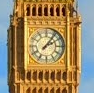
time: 2:06
